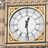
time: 12:28
